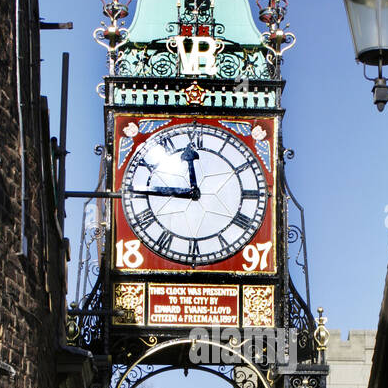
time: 11:44
